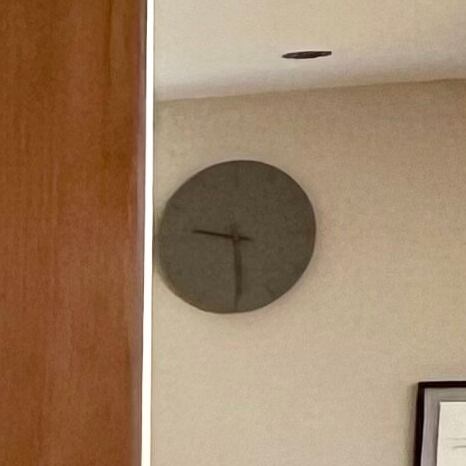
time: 9:29
